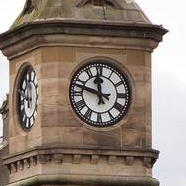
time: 11:47
